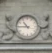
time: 10:45
